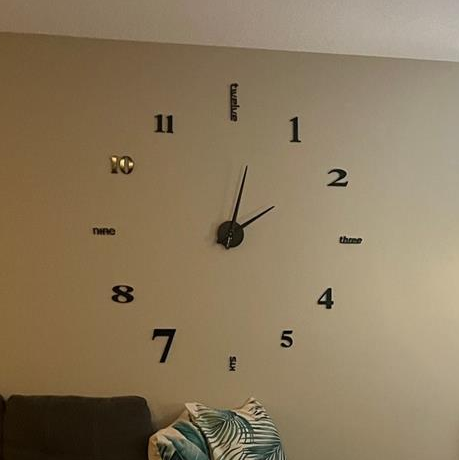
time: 2:02
